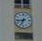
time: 6:43
